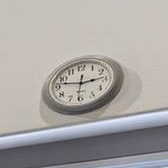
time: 2:47
